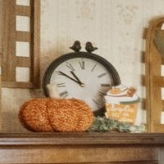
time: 10:50
